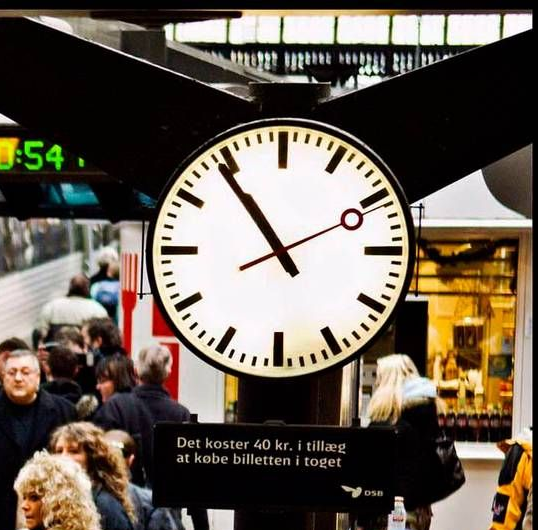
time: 10:54
